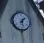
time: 1:28
